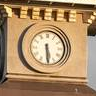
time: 5:29
